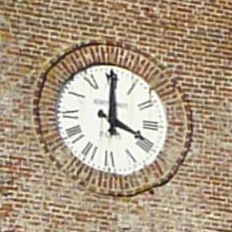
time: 4:00
